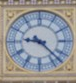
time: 9:22
